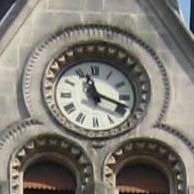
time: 11:18
